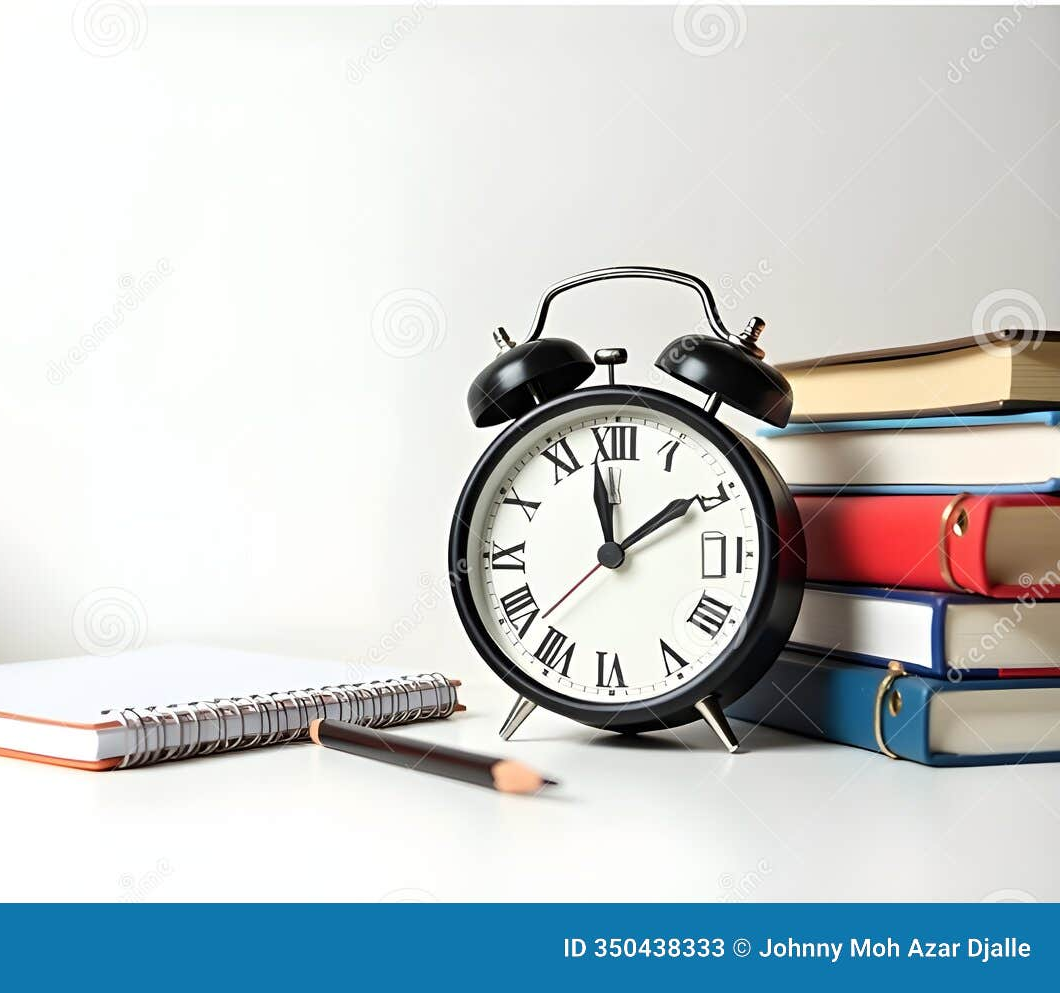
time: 1:58
